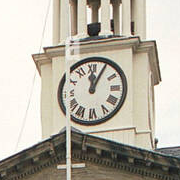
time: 12:05
